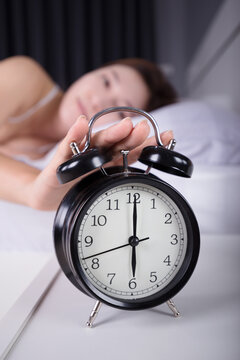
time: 6:00
